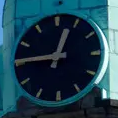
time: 12:45
